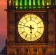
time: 5:47
